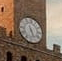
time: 5:26
